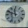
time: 11:48
